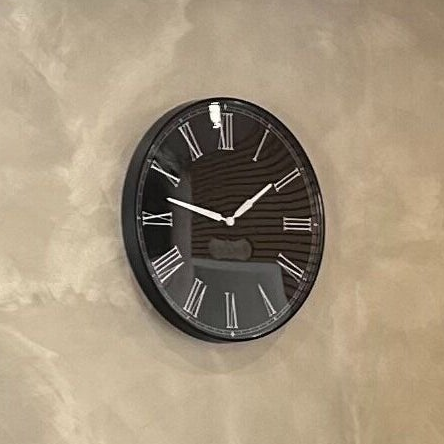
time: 1:47
